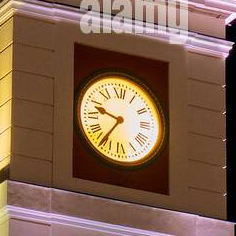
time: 9:35
